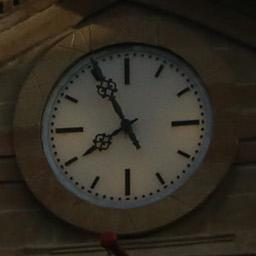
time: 7:55
